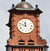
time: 11:48
